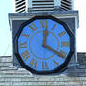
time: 12:20
